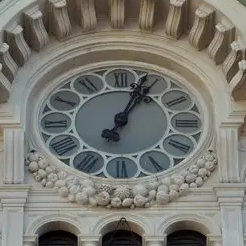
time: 1:03
